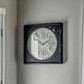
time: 10:10
